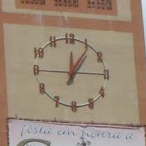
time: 12:05
